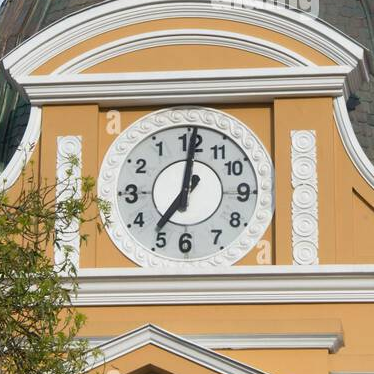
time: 7:01
